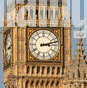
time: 3:12
